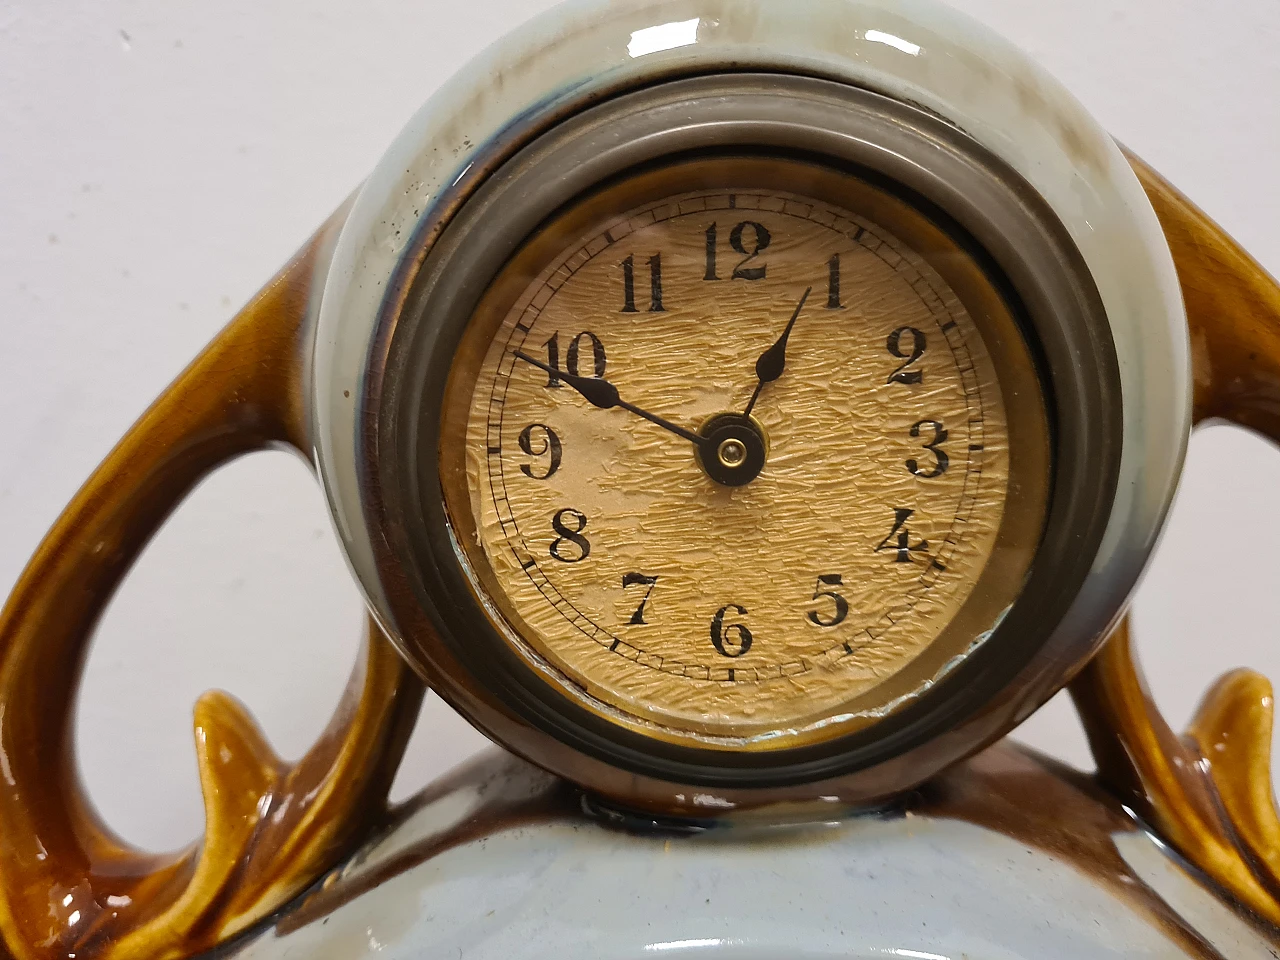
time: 12:49
